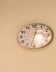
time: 12:32
